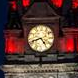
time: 4:42
